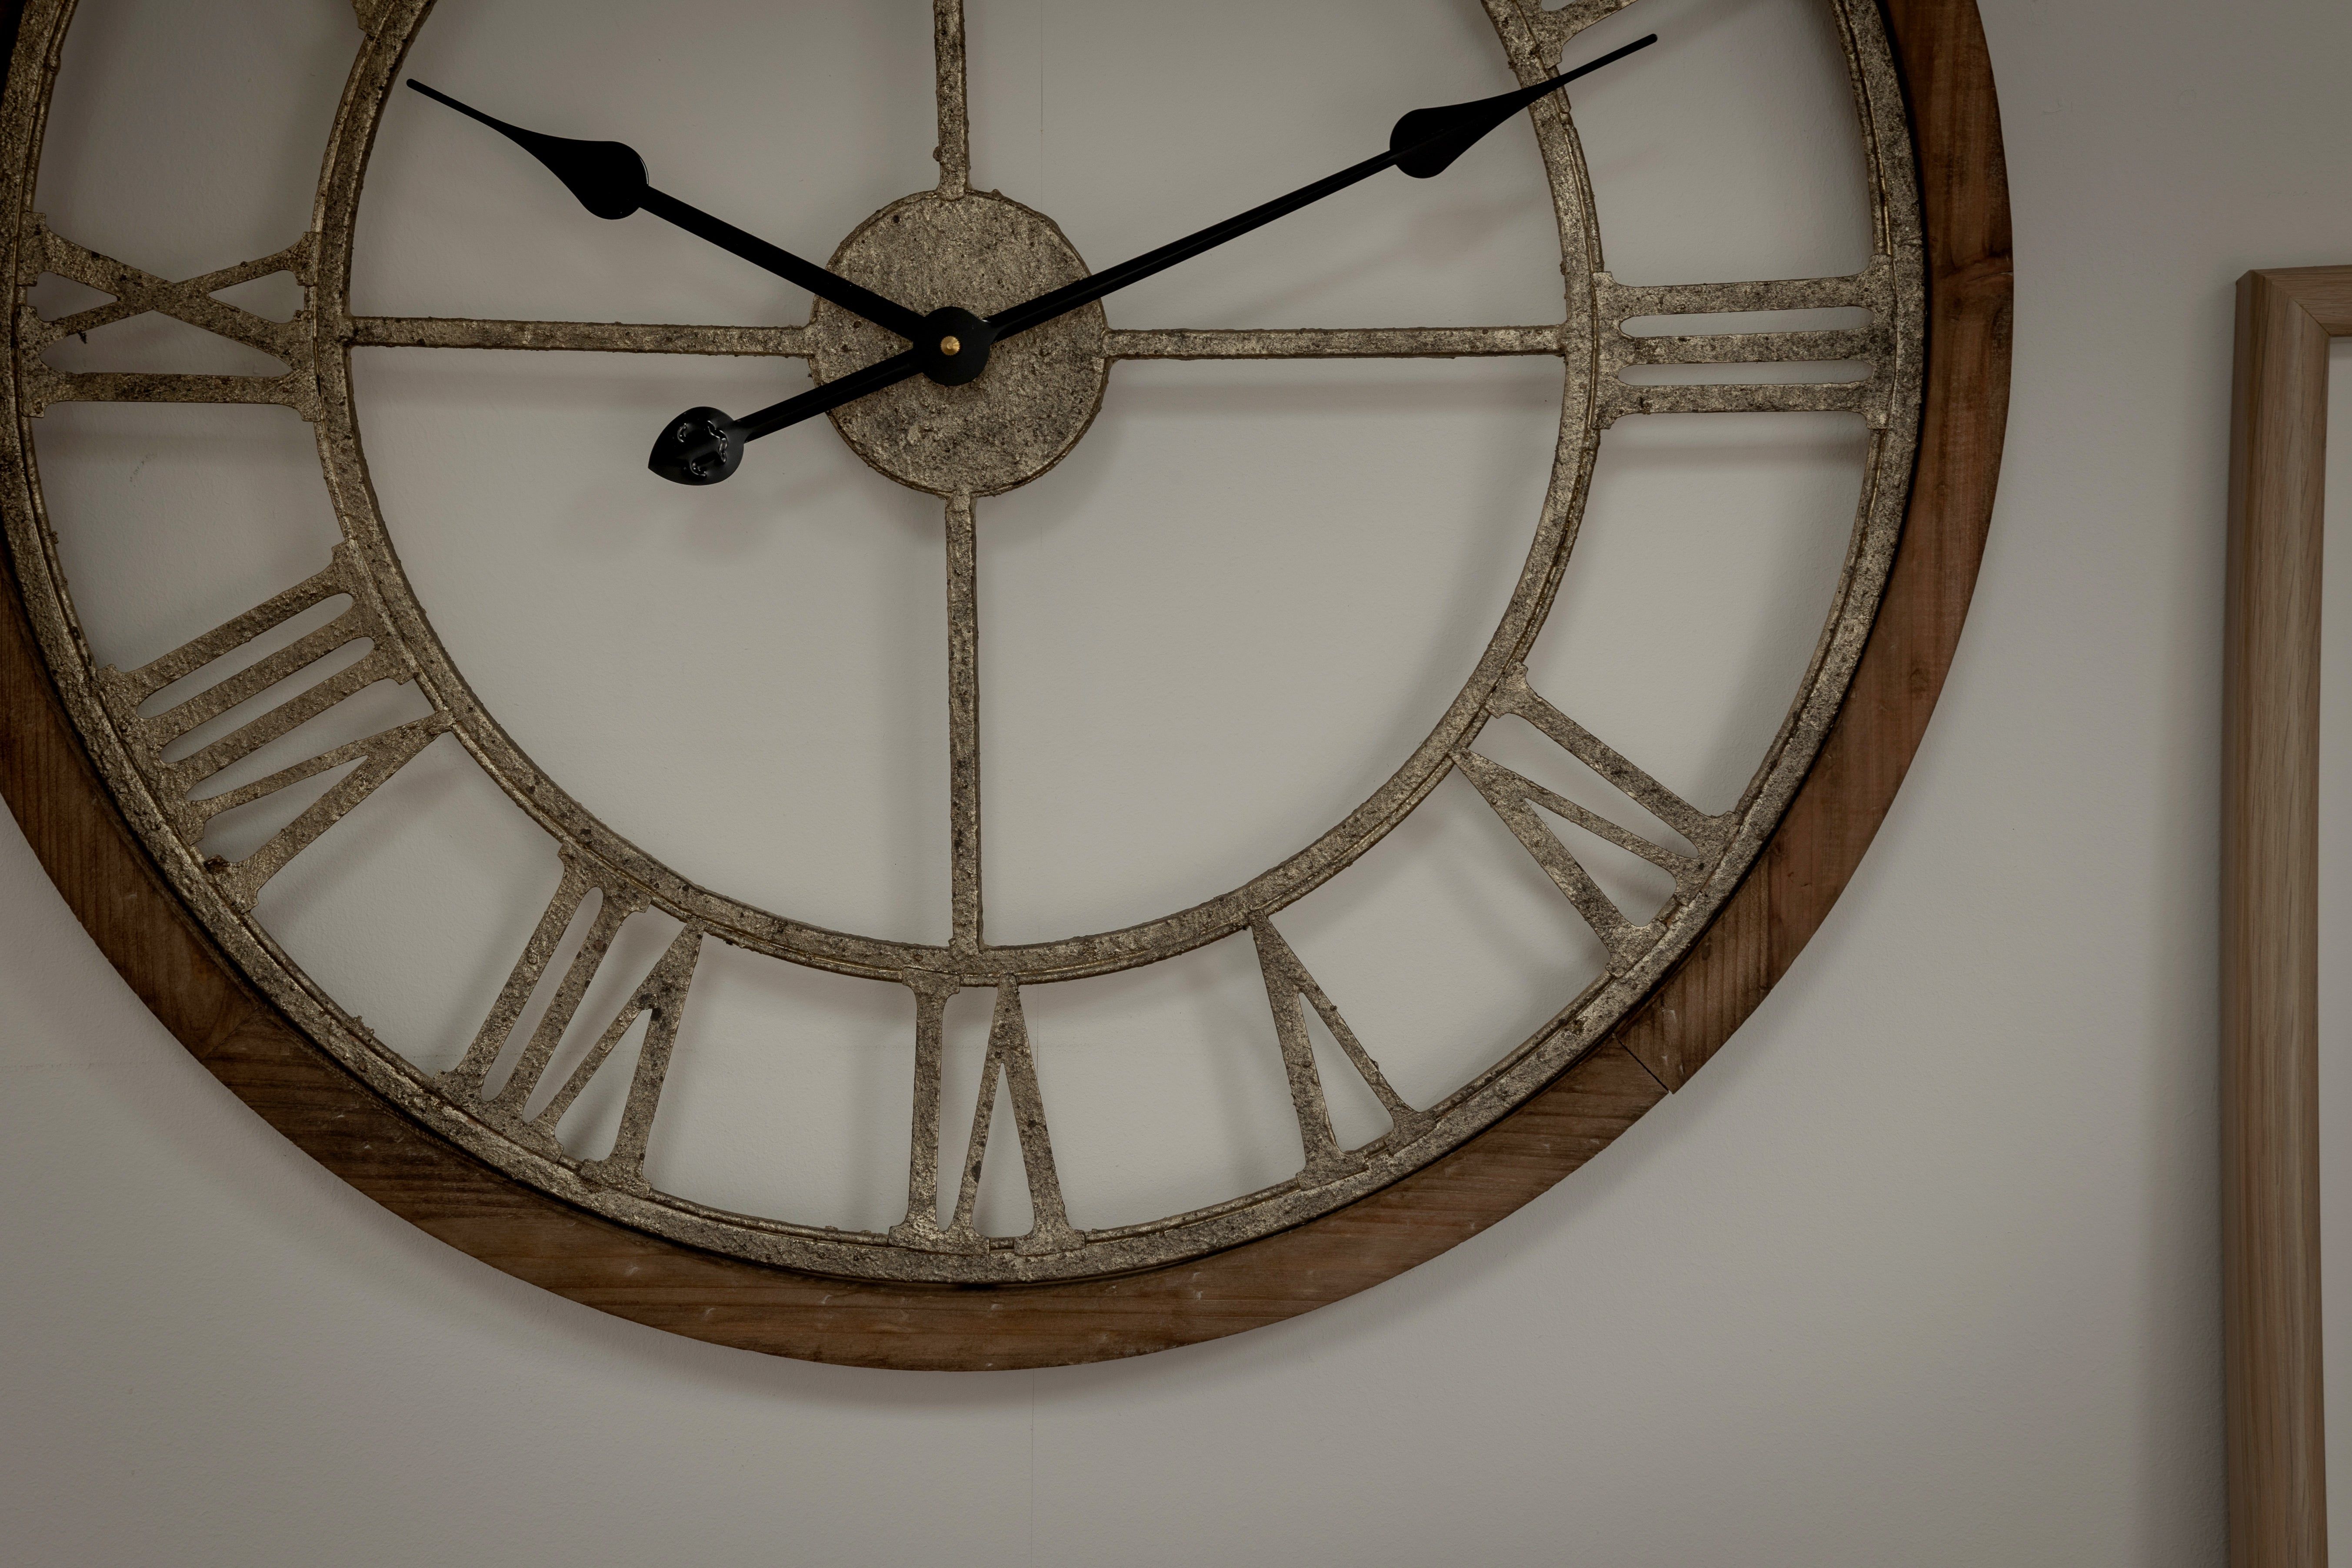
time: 10:10
